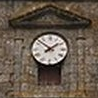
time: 1:51
